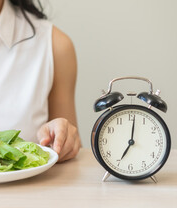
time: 7:01
